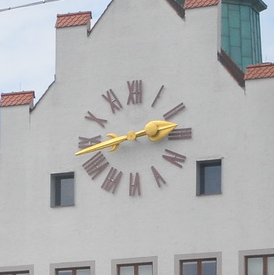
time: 2:42
